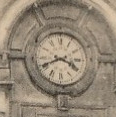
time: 3:40
